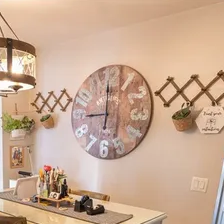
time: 8:59
